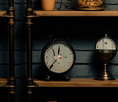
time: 11:36
